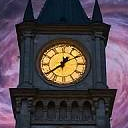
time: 1:39
